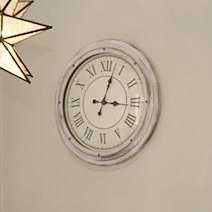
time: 3:02
